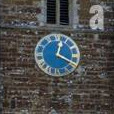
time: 12:19
